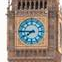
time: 7:45
